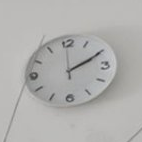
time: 2:10
